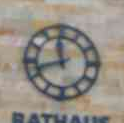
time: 11:42
